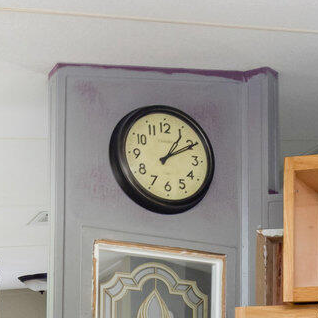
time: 1:10
